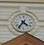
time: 4:35
